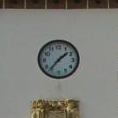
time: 1:36
